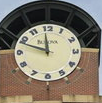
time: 11:48
